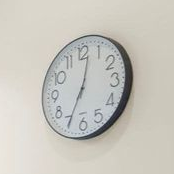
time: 12:34
